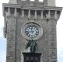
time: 11:42
